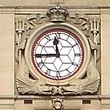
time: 11:44
